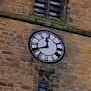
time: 11:40
